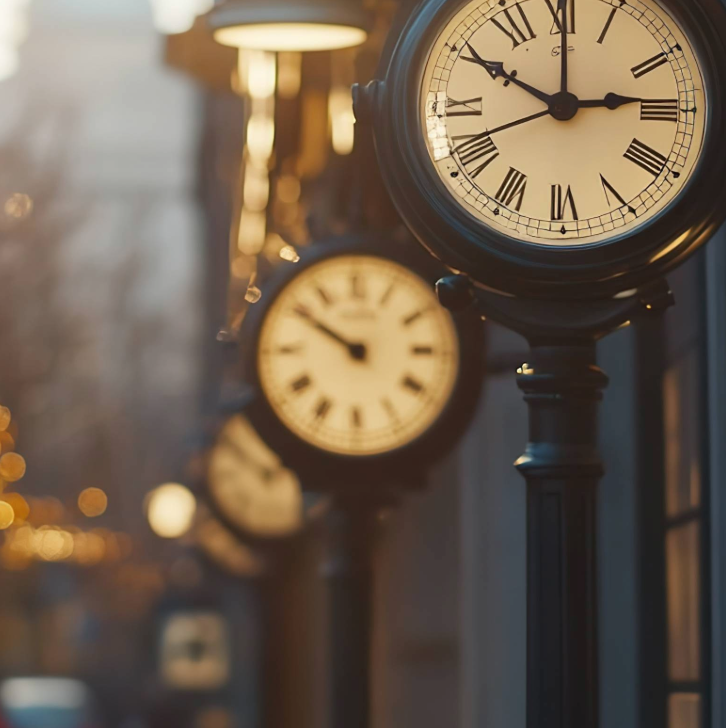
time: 9:50
